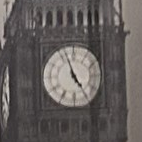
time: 4:56
